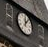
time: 12:07
